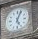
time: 5:03
